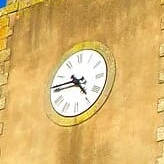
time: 4:45
